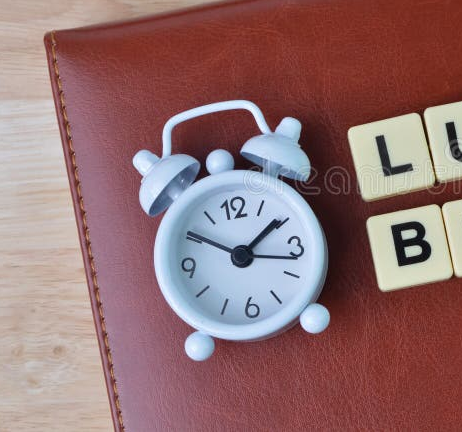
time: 1:50
